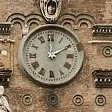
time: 1:59
